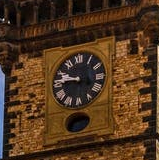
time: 9:45
